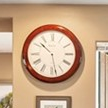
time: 10:28
